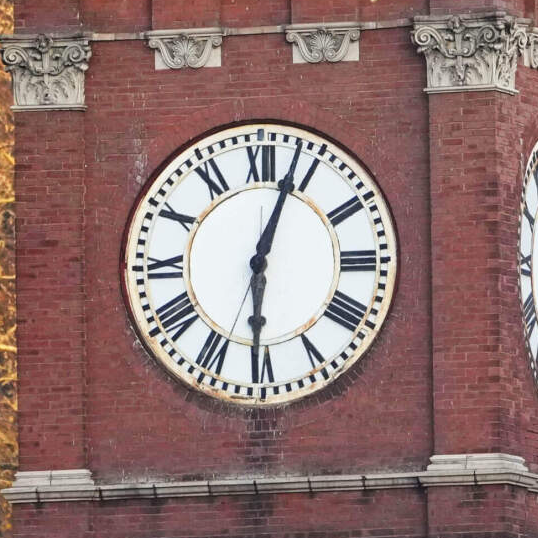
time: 6:03
